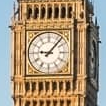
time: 9:07
